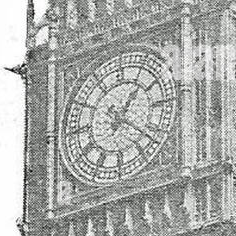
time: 1:20
